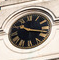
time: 10:17
